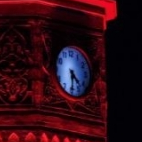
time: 4:29
